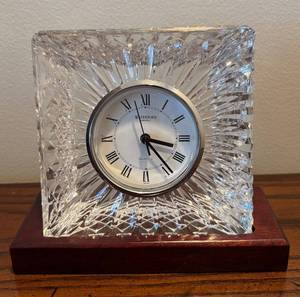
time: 3:23
